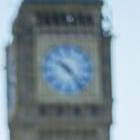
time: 10:23
